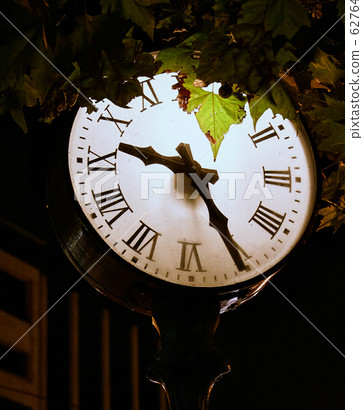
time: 9:25
